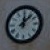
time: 12:07
